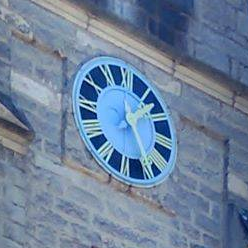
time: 1:26
